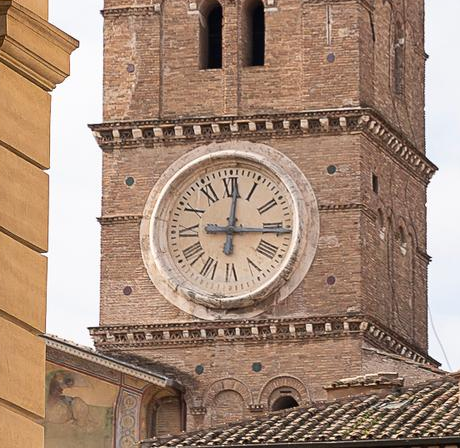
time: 12:15
